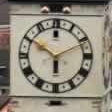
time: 5:50
